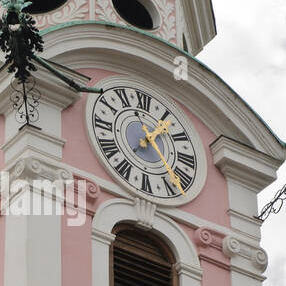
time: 11:06
